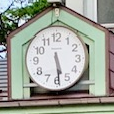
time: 5:29
